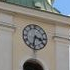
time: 3:32
